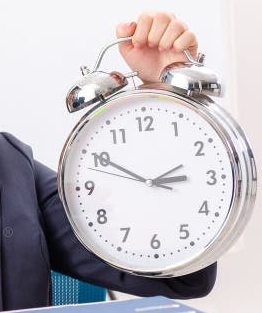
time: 2:50
